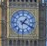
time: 1:18
